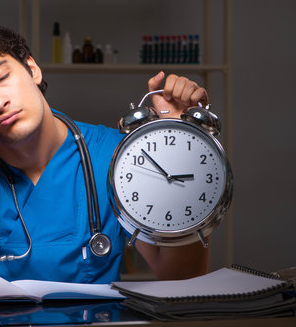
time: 2:52
